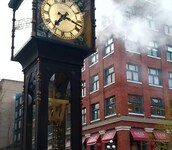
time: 7:17
